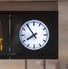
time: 7:53
